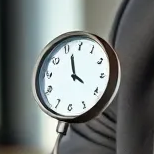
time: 3:56
